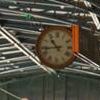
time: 10:43
